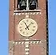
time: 11:07
